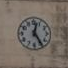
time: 12:24
